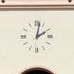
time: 2:02
